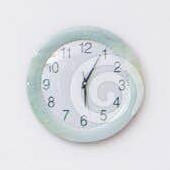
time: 6:04
